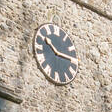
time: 10:16
